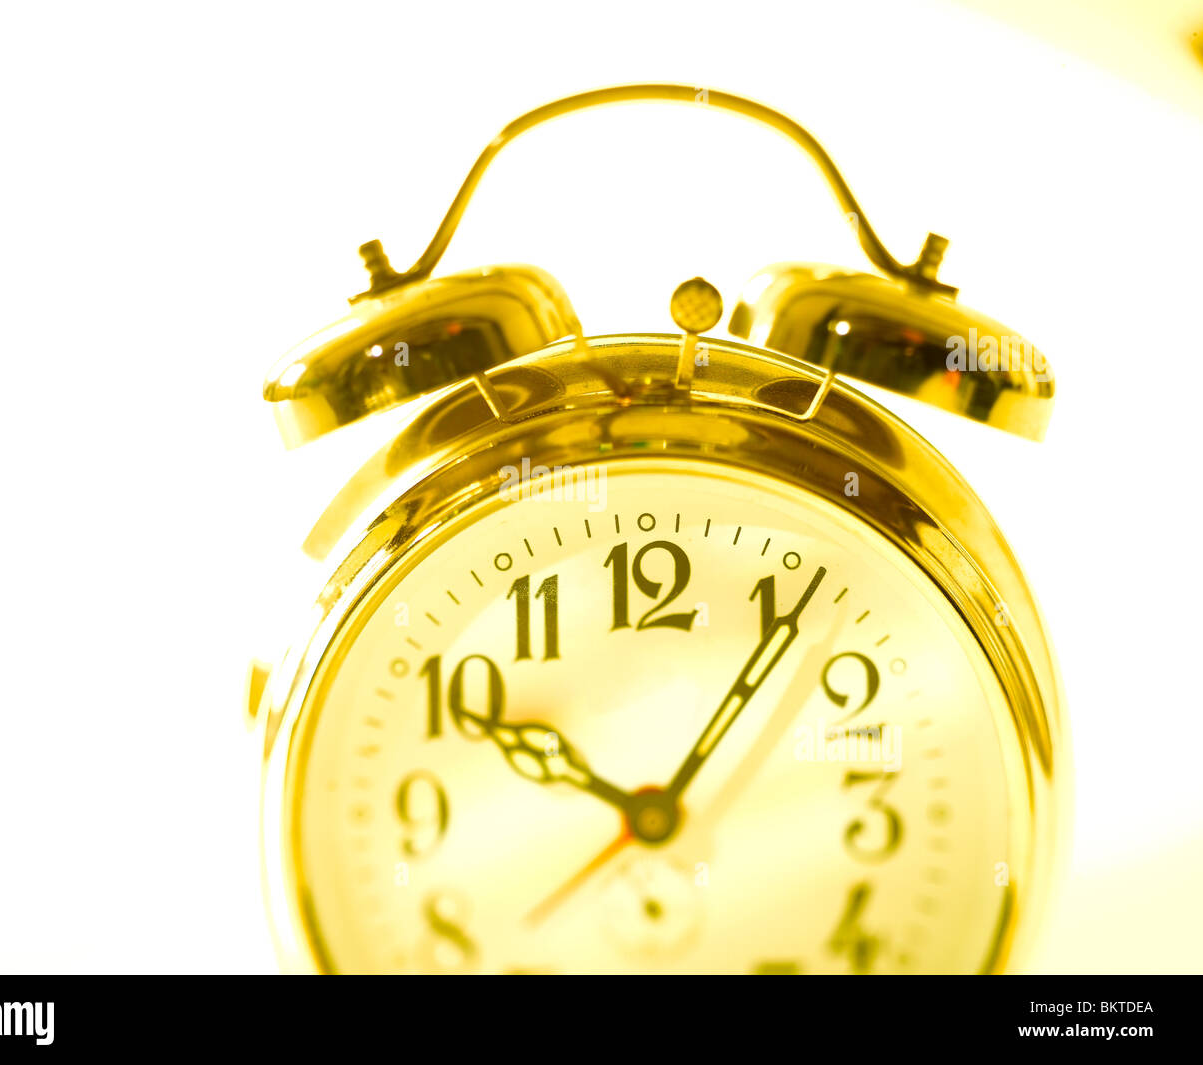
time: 10:06
